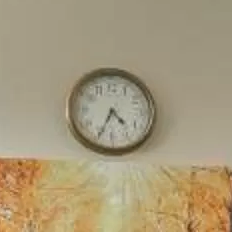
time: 4:34
